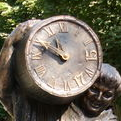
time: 9:48
